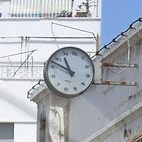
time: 10:47
